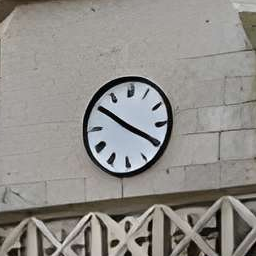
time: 3:50
